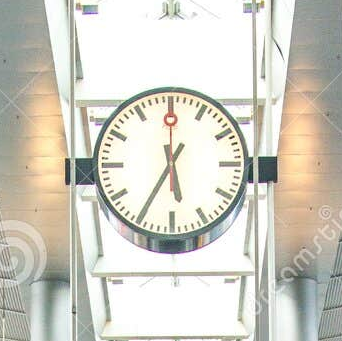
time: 5:35
